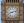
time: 8:12
